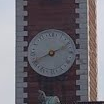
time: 8:11
